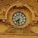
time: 7:32
